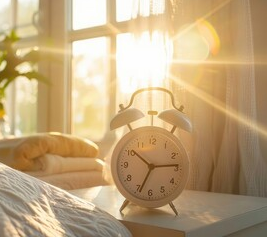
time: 10:14
